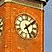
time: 5:08
